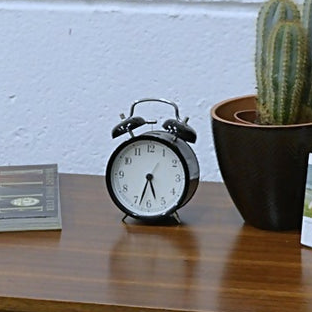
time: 5:33
